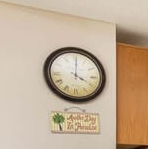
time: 4:00
